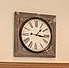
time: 1:16
